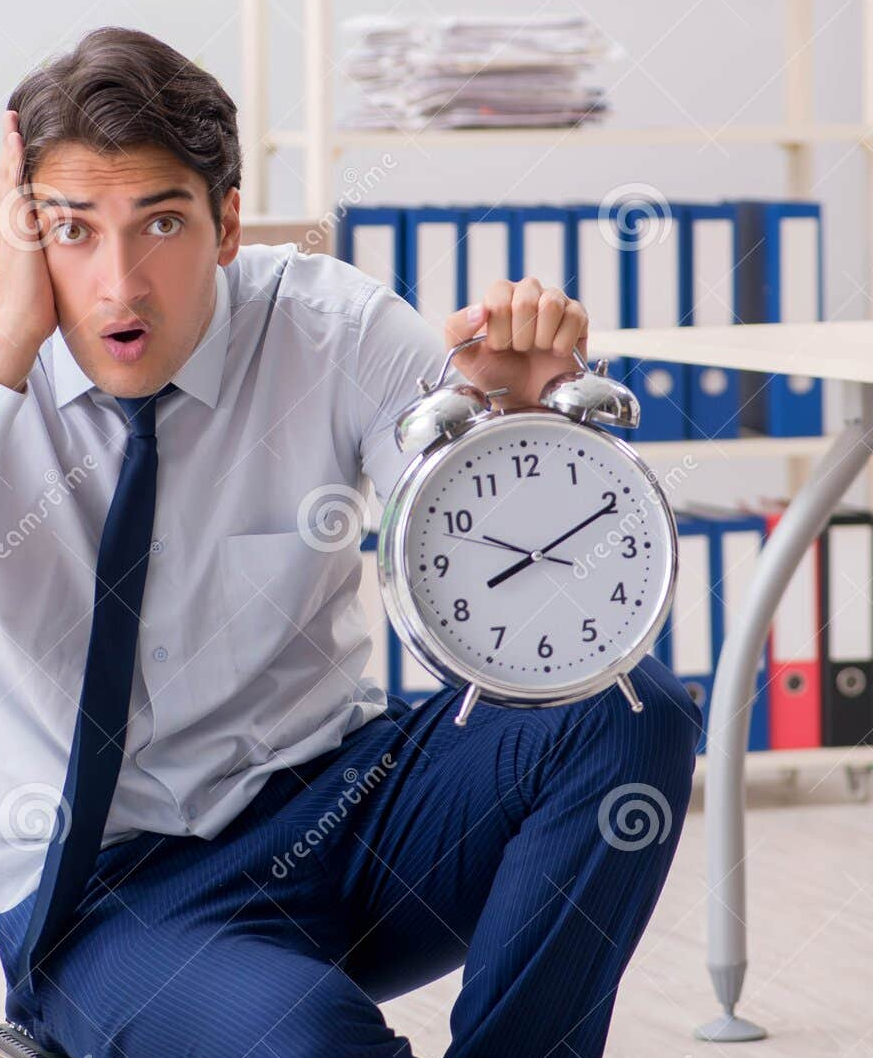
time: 8:10
